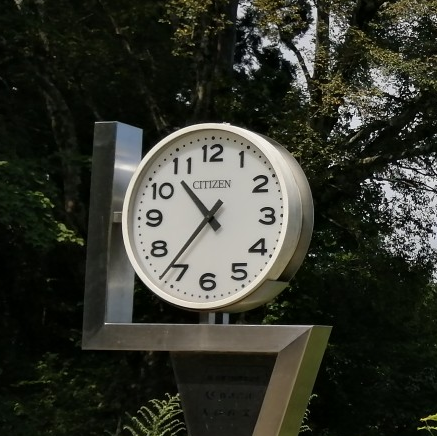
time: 10:36
